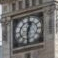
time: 12:30
